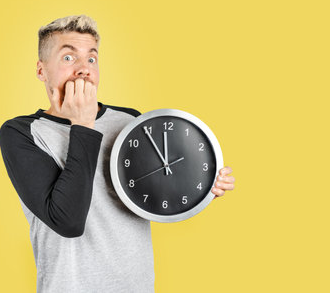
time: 11:54
